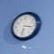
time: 3:32
